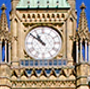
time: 10:51
